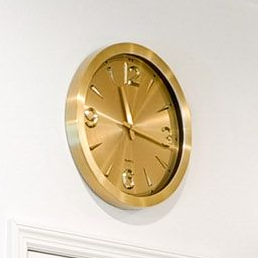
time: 11:16
